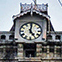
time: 5:00
